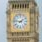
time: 1:46
